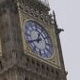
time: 12:40
